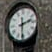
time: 2:30
